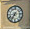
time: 7:14
